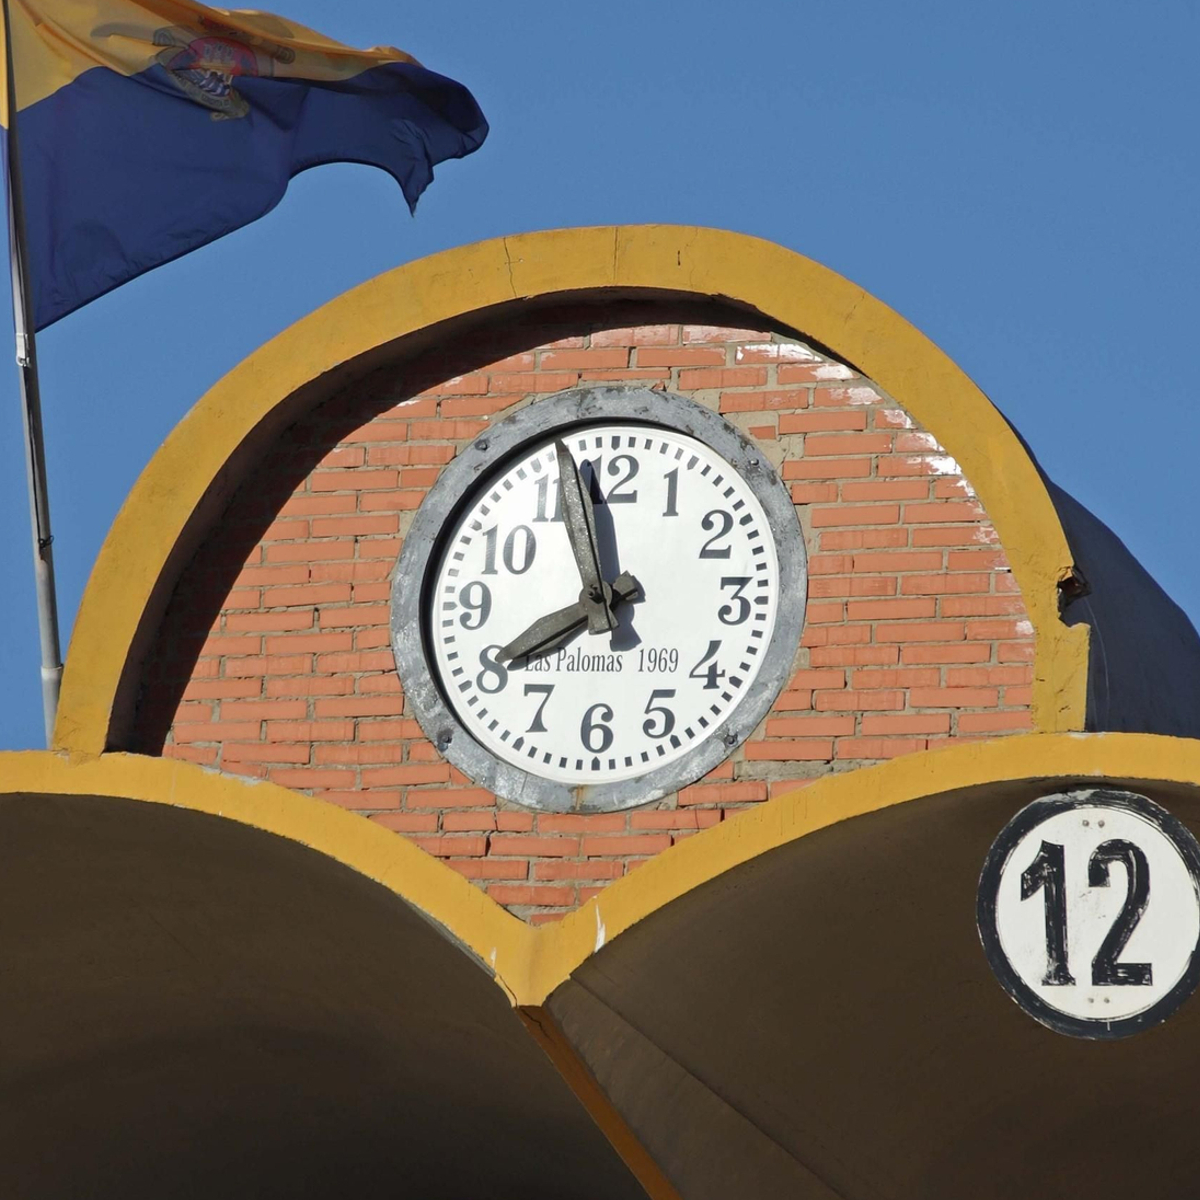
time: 7:57
